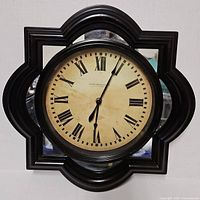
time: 6:04
